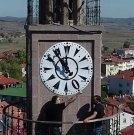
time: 11:53
